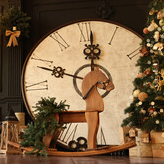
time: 11:47
